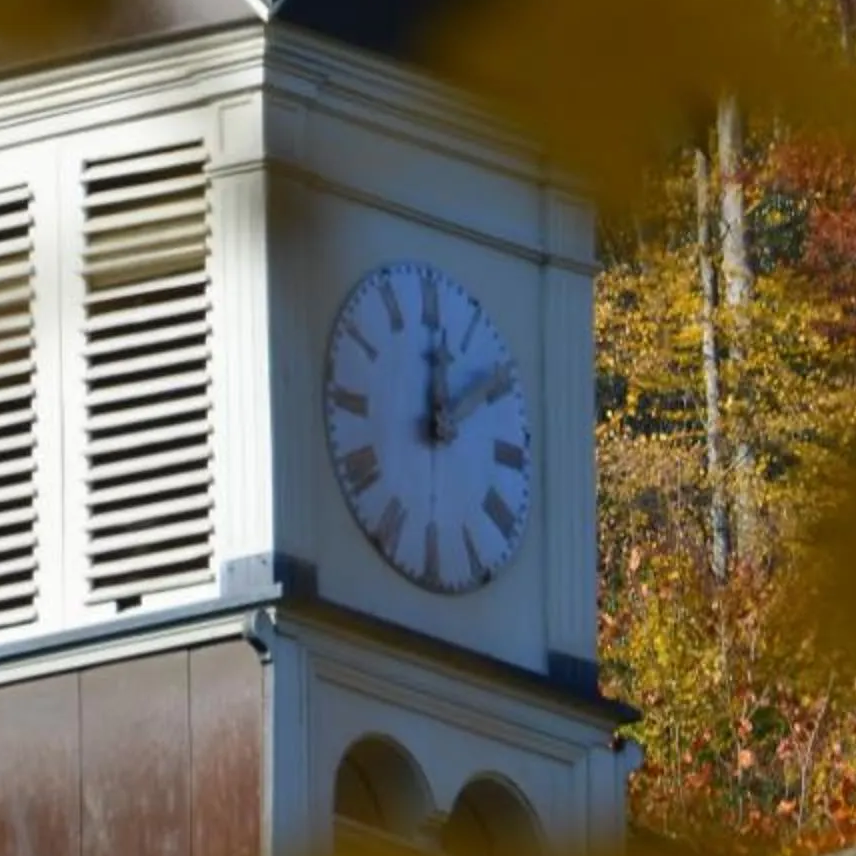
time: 12:09
